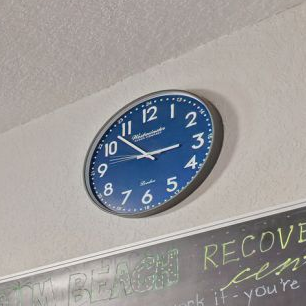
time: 2:52
